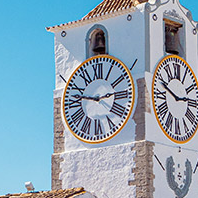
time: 9:13
